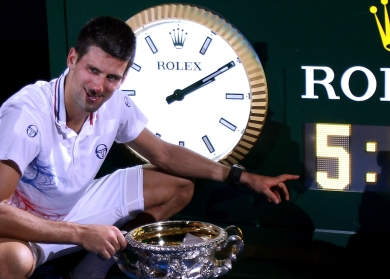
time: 2:09
